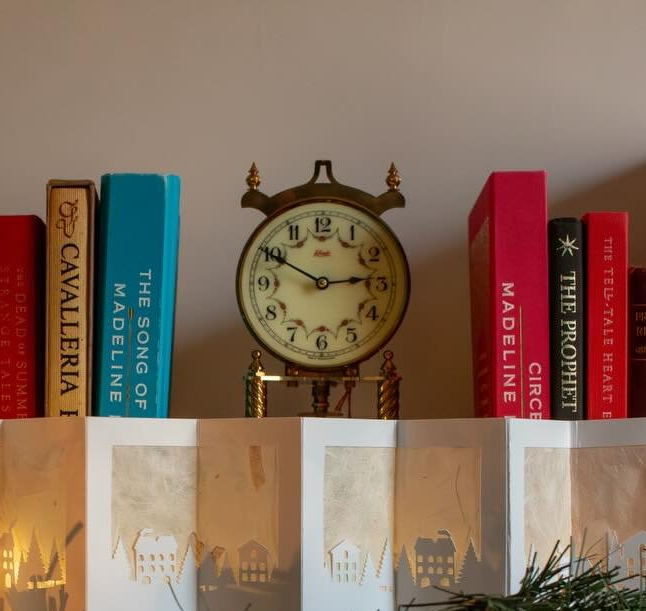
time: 2:49
